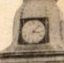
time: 3:07
